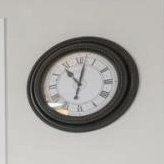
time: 11:01
